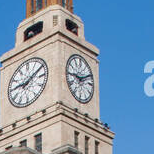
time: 9:10
